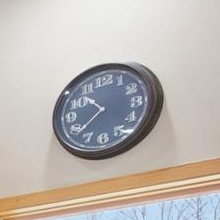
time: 10:38
